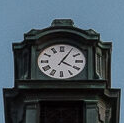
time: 4:05
